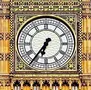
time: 6:36
